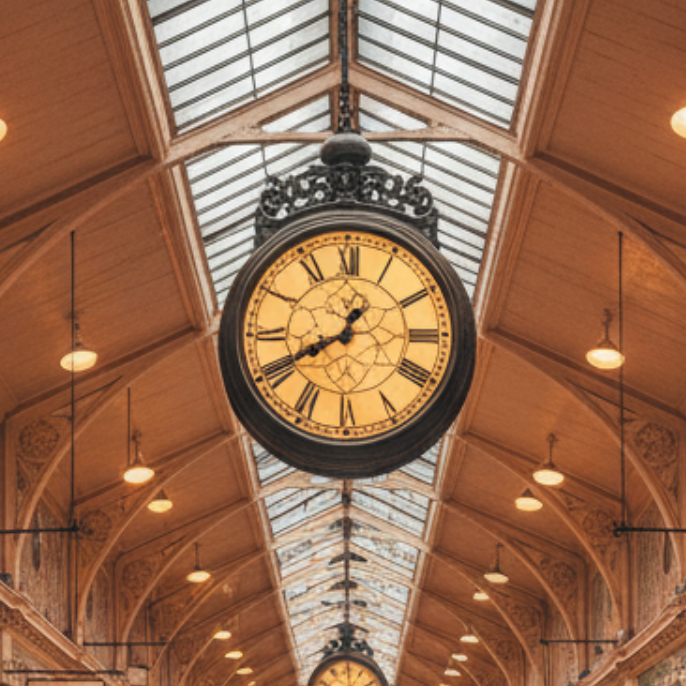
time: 12:40
